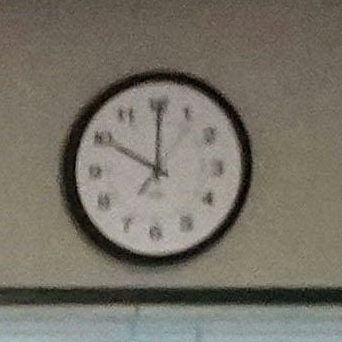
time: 10:00
